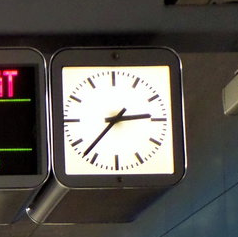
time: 2:37
